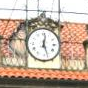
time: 12:26
